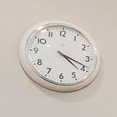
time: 4:18
